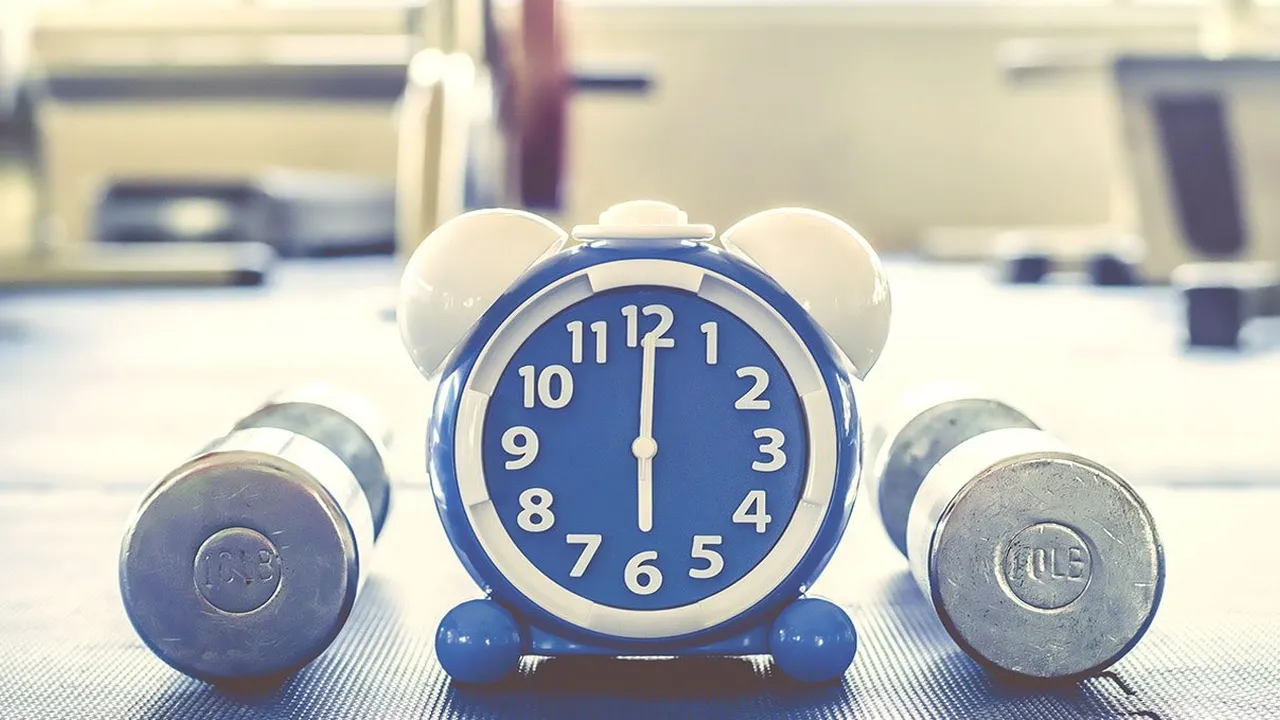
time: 6:00
